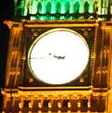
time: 9:44
